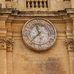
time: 11:37
